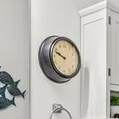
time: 9:48
